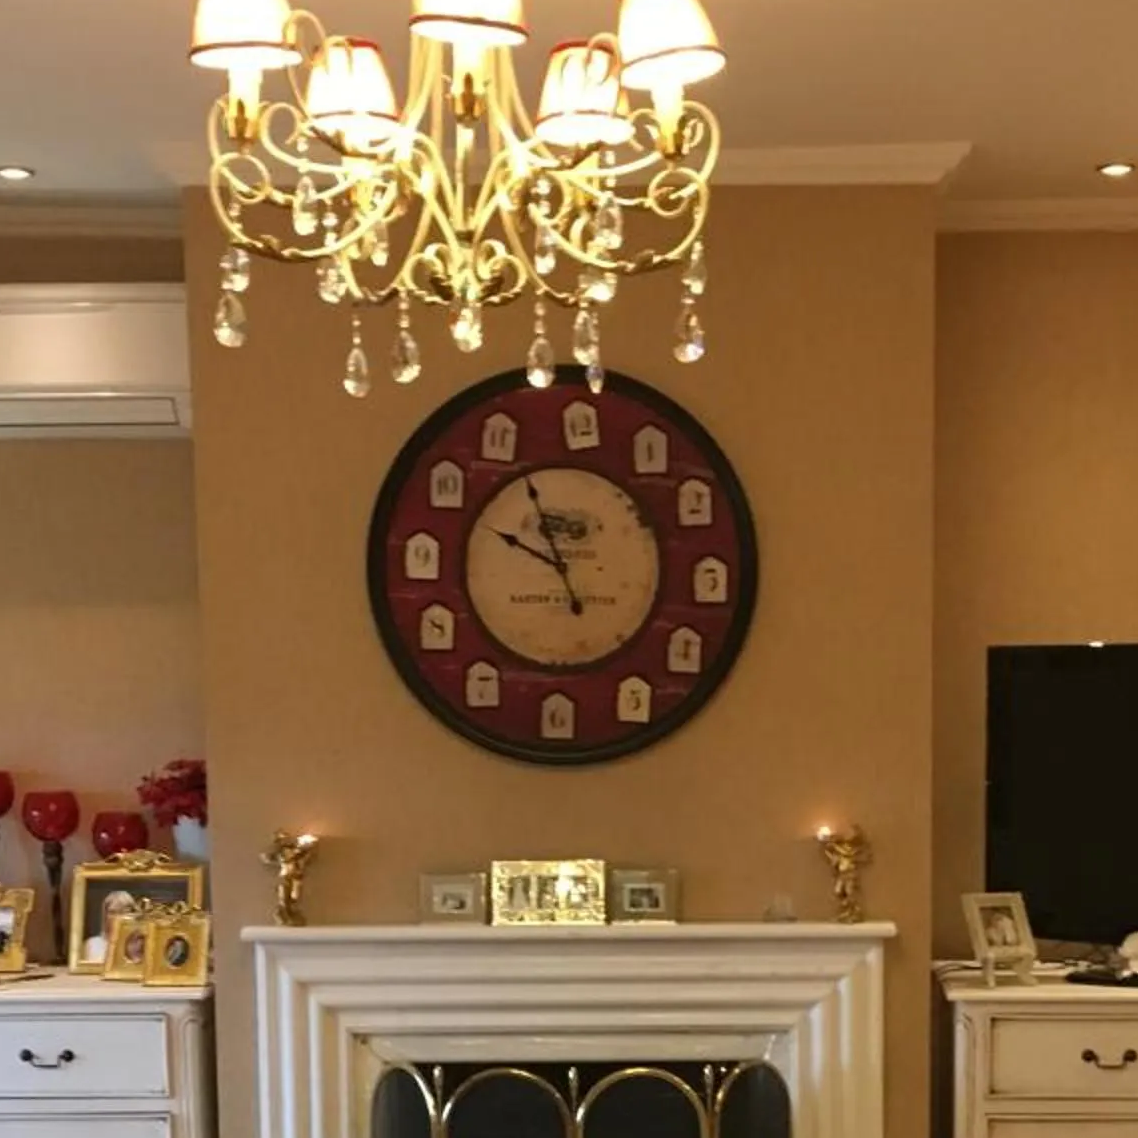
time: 9:56
